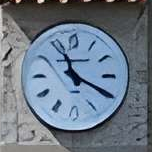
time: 11:19
